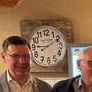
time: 9:10
